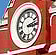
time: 3:12
